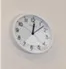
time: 12:07
